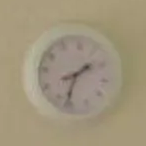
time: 1:32
